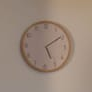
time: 5:09
